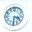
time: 3:31
